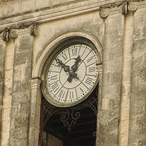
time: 12:52
